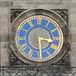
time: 3:29
